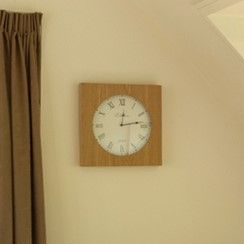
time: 12:13
